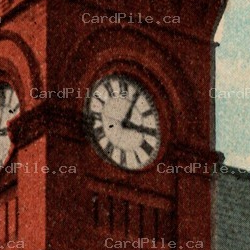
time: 3:04
